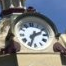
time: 2:33
